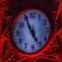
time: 4:55
